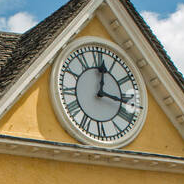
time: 12:16
